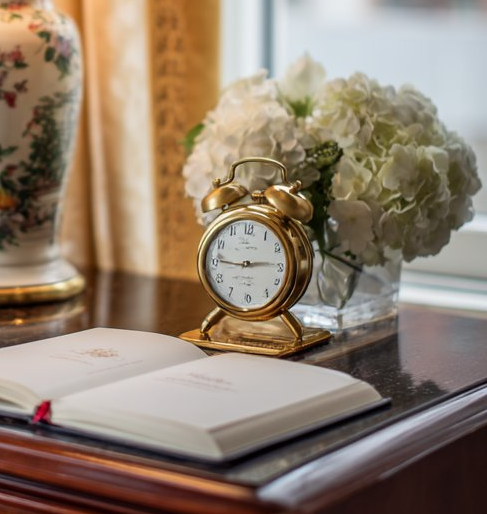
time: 2:45
